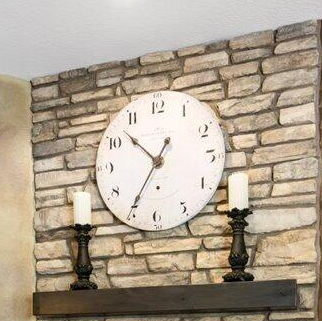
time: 10:35
